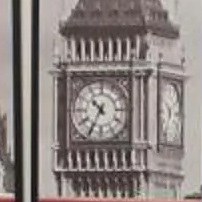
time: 10:34
